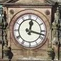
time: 12:17
